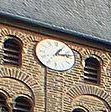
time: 1:13
